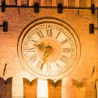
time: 9:33
